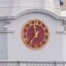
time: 11:35
